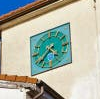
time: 4:37
